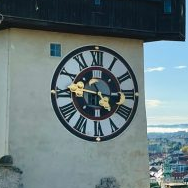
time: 4:46
